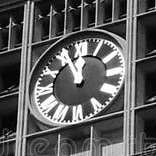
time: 11:55
